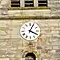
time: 4:04
